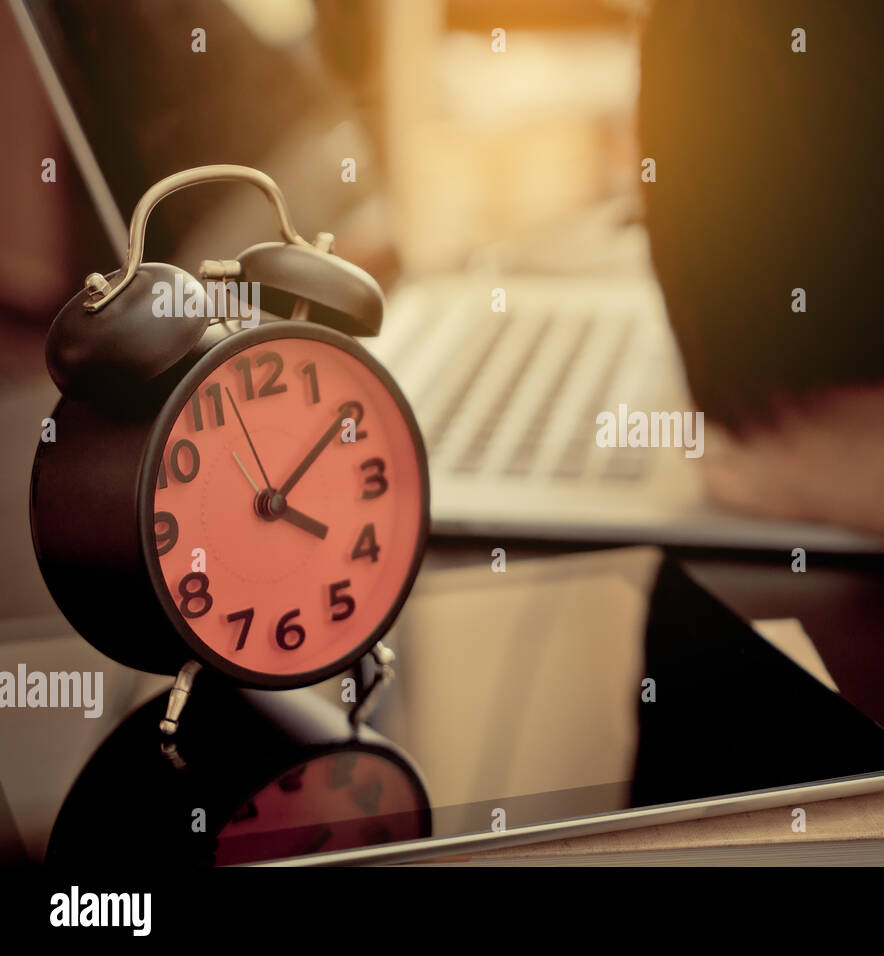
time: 4:09
